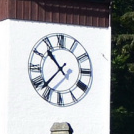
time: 10:37
